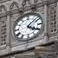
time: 4:07
